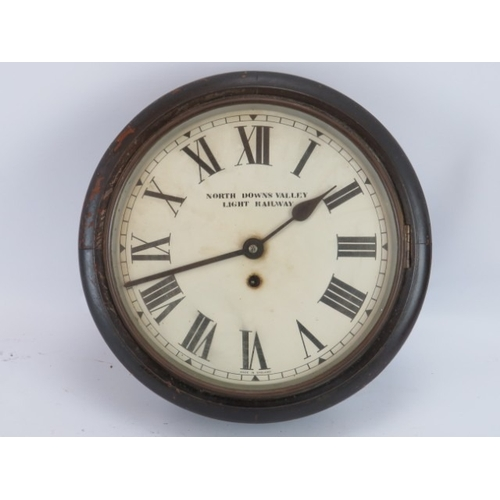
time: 1:42
